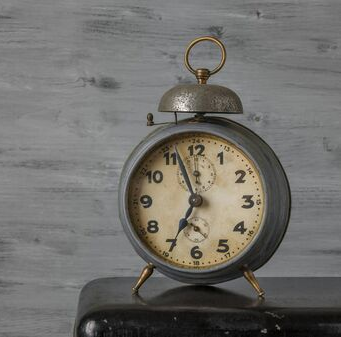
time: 6:56
